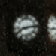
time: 8:13
